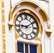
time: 9:09
